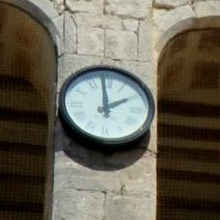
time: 1:59
